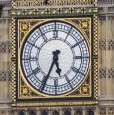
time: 5:34
